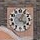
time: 4:04
